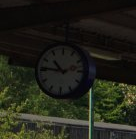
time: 10:45
